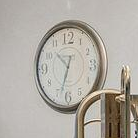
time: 10:33
